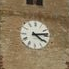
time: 4:13
